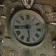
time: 8:28
